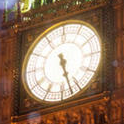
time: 5:27
